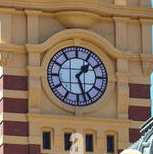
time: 1:26
